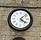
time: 4:07
